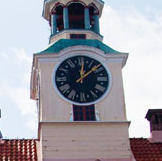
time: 12:07
